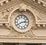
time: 2:40
